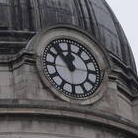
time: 11:52
